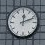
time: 12:11
